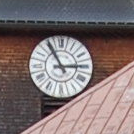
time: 2:54
